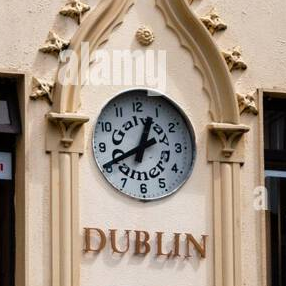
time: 12:40
